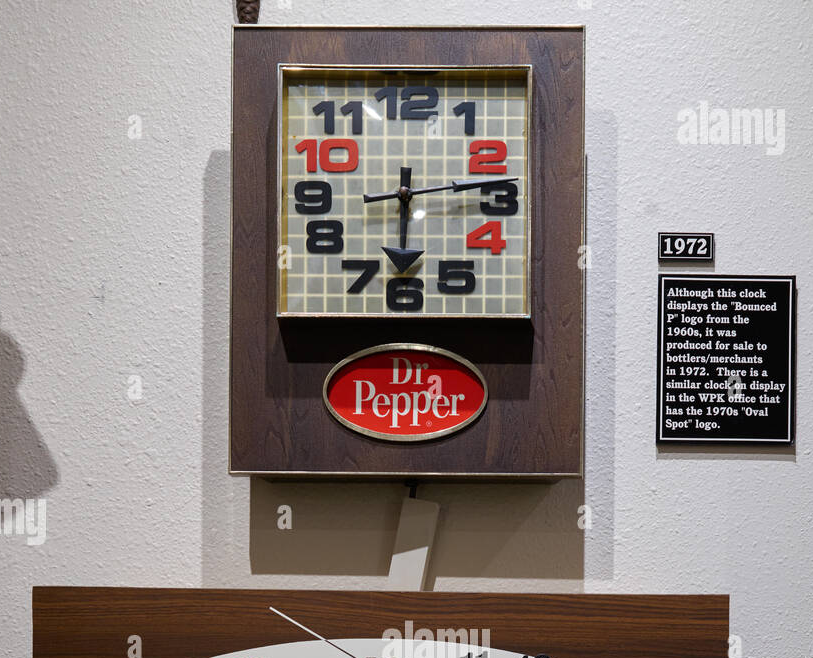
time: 6:13
